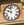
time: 9:57
